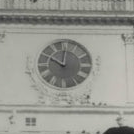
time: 10:00
